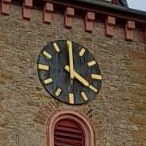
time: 4:00
